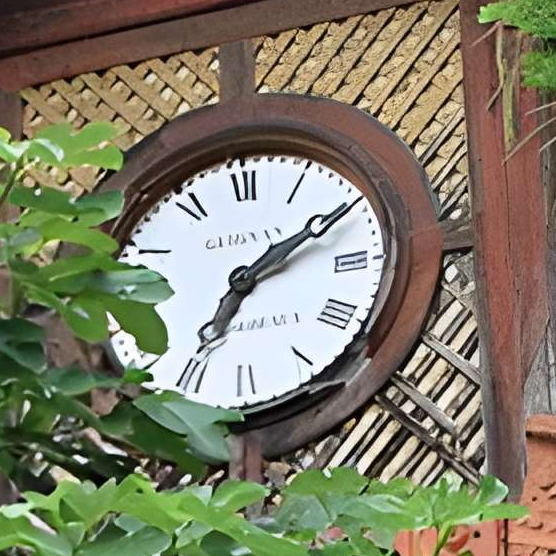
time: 7:09
